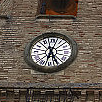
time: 6:25
